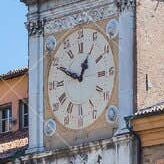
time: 12:49
